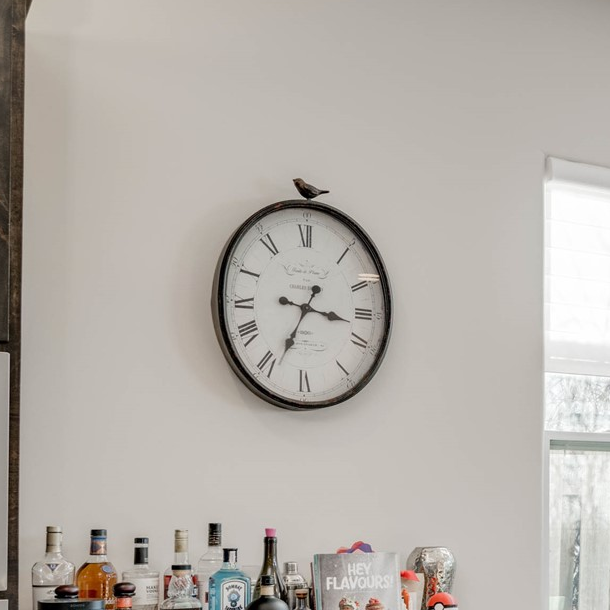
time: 3:33
